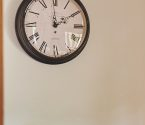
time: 1:59
